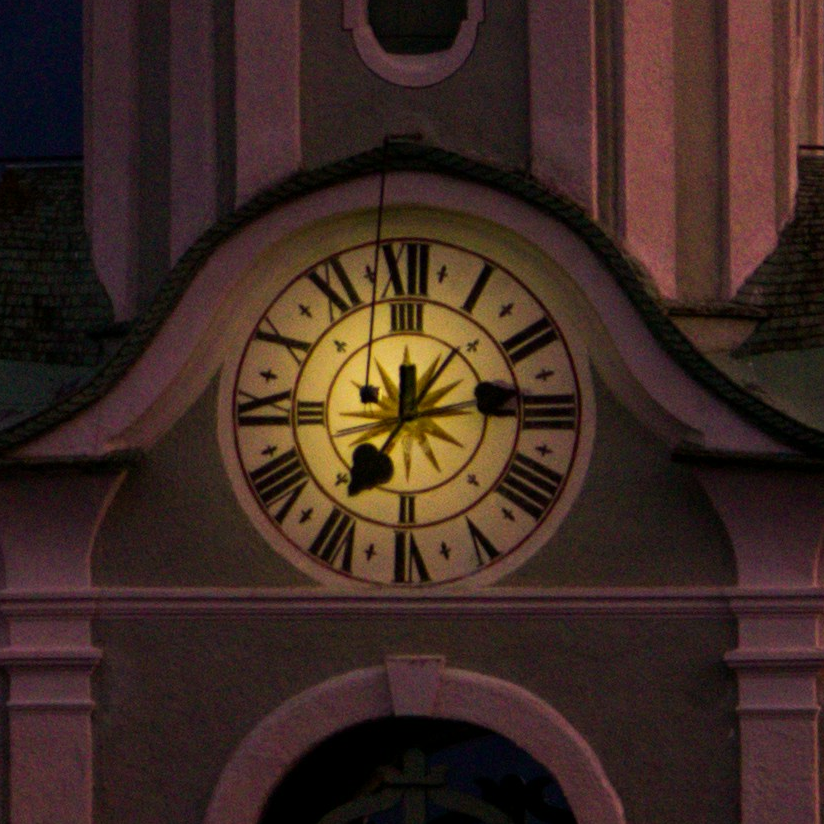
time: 7:13
